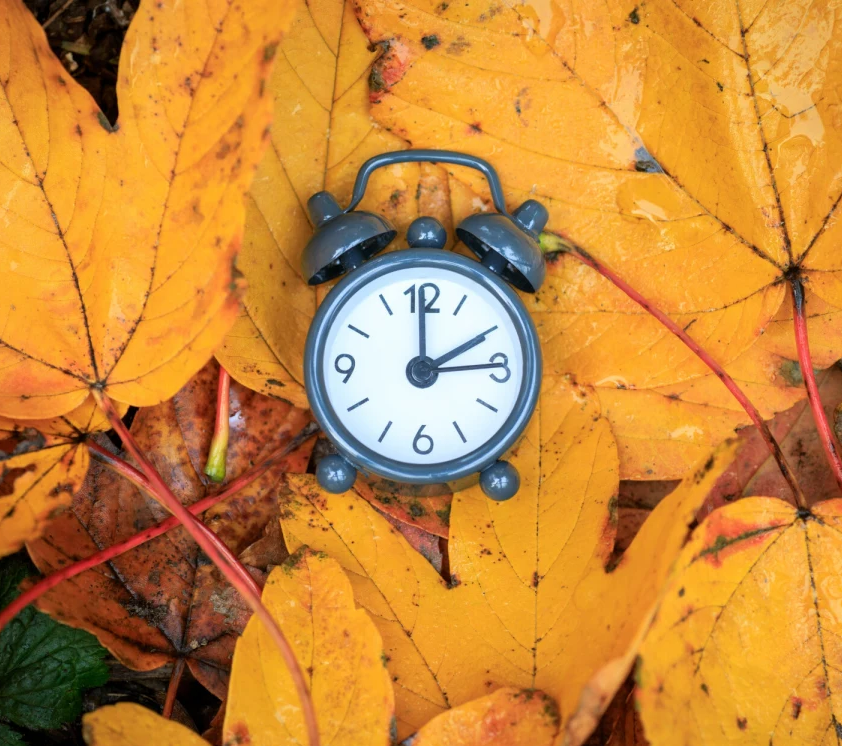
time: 2:00
